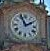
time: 1:56
